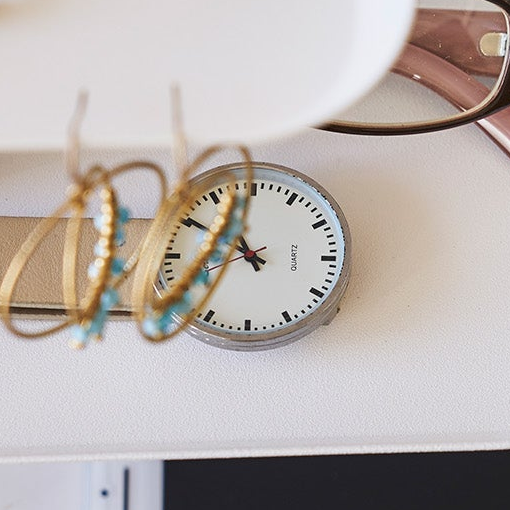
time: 10:50
